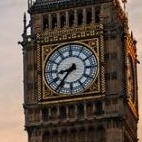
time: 8:36
